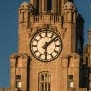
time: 6:08
